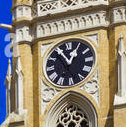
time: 12:55
